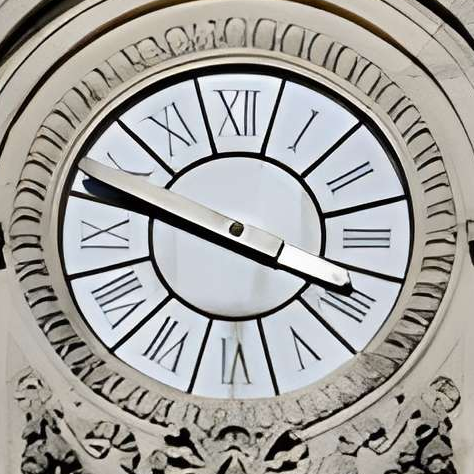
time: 3:48
